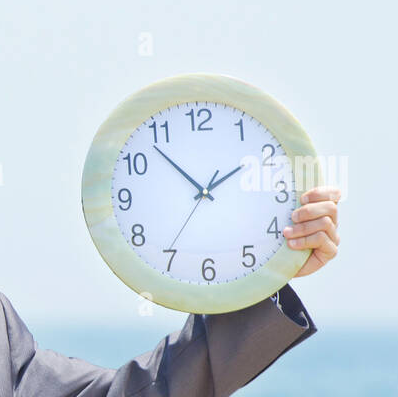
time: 1:52
